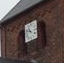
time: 10:47
